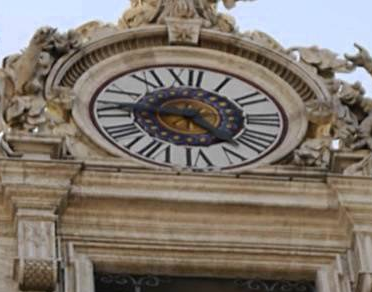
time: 4:45
